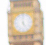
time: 5:00
